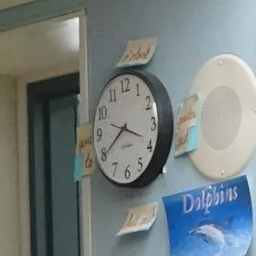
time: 3:39
